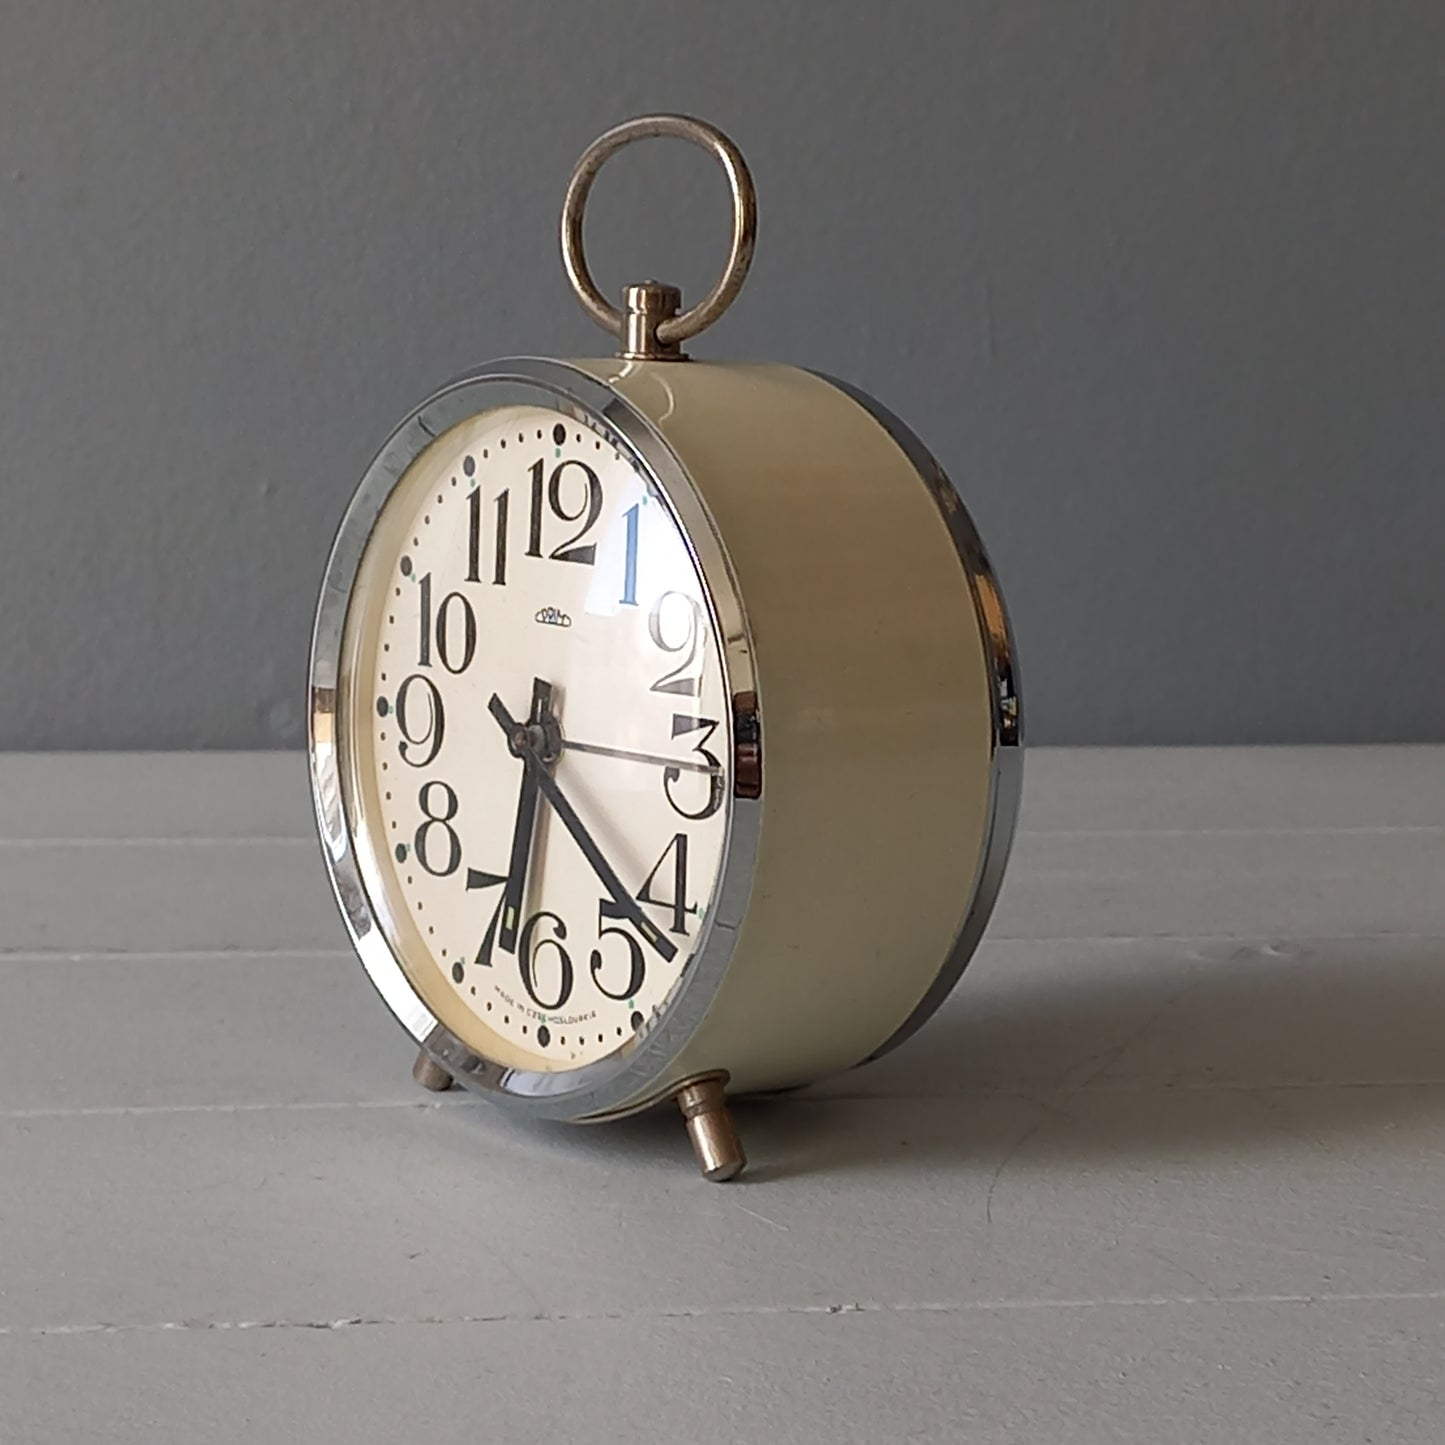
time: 6:21
